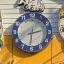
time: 2:30
